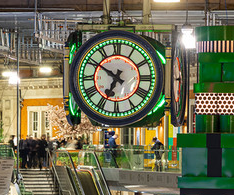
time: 6:50
